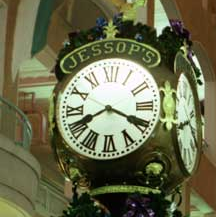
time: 8:19
